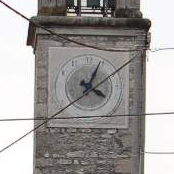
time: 4:04
